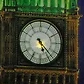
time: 5:23
